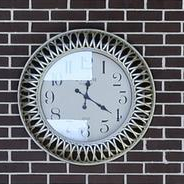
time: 4:01
